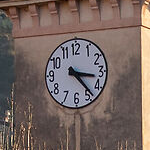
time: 3:23
